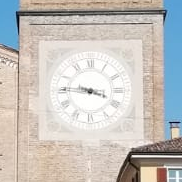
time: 3:45
